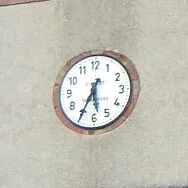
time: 5:34
